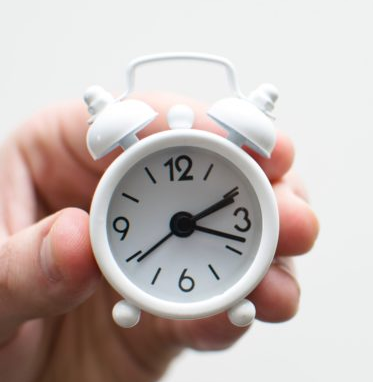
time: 2:18
